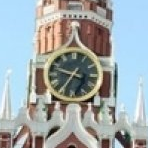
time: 9:35
